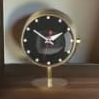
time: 1:51
